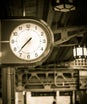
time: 7:37
